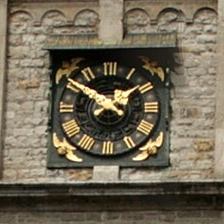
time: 1:50
